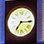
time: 7:14
